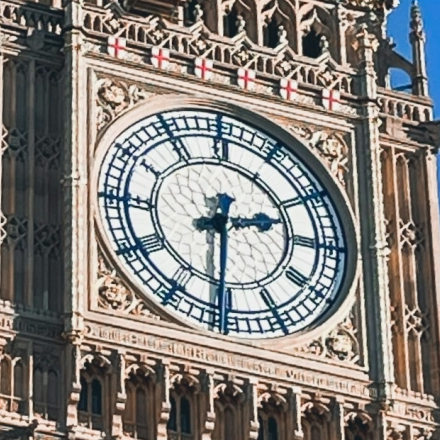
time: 2:30
